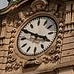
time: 3:50
